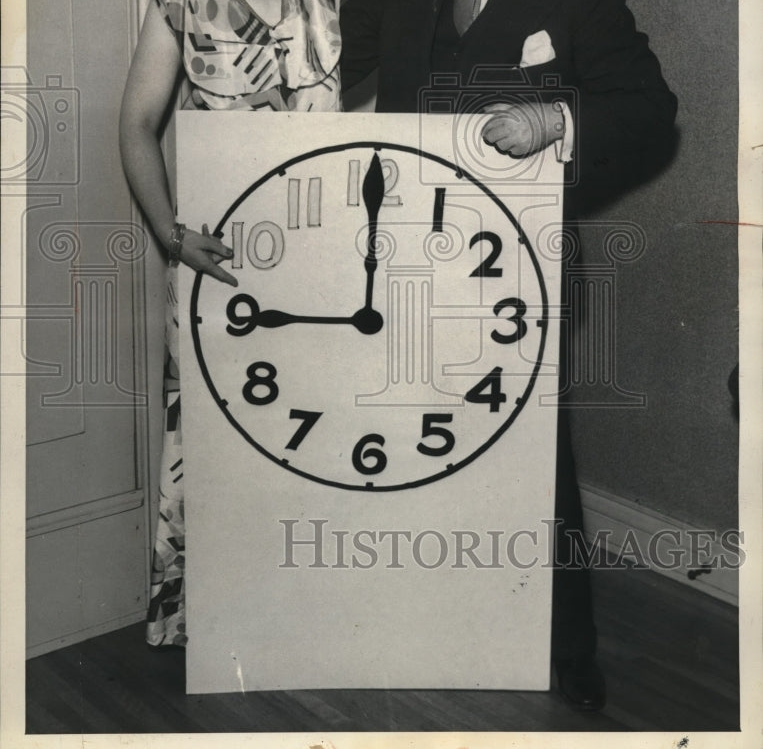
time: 9:00
